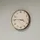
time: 3:46
